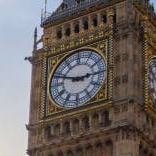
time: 2:48
